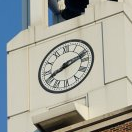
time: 8:12
